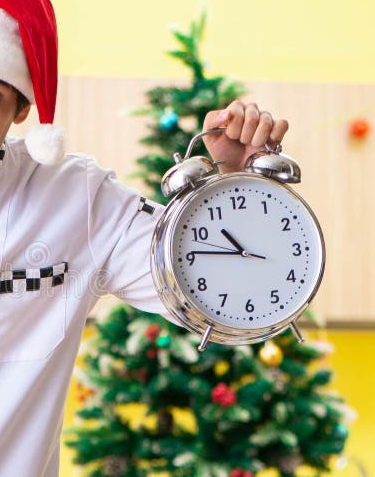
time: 10:46
